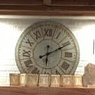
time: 12:10
